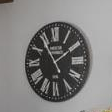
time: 1:54
